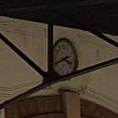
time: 3:40
